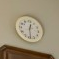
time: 12:29
